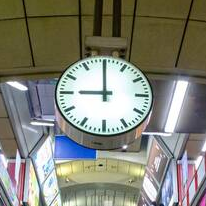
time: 8:59
